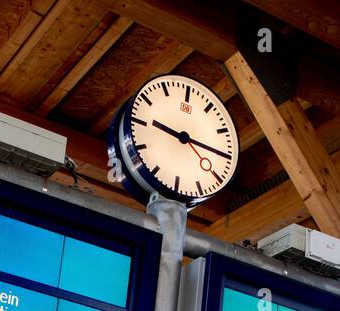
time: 9:15
